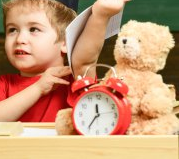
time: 11:35
